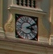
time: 3:09
